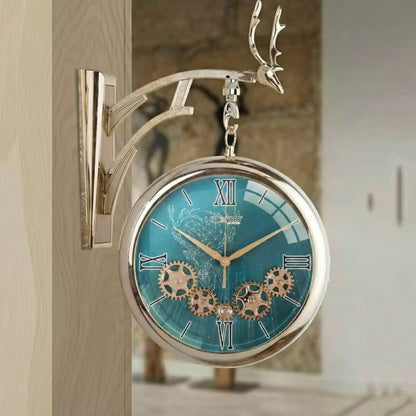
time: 1:50
